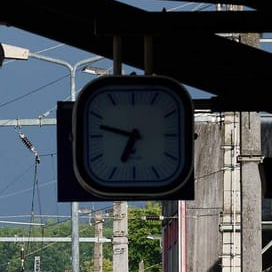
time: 6:47
